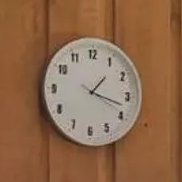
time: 1:17
